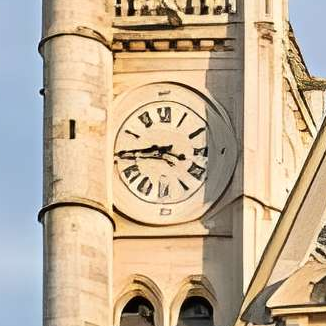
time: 3:44
